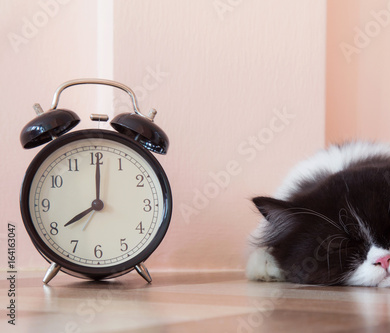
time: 8:00
